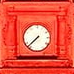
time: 7:37
